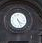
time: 4:26
